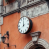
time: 7:59
